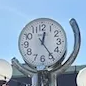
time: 12:24
